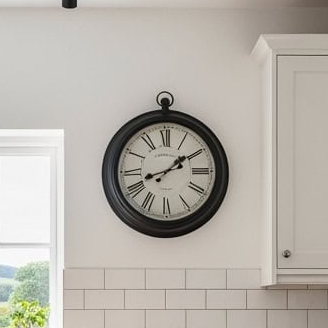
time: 8:09
